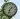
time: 1:33
